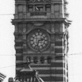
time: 2:33
